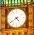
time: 4:39
